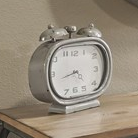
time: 4:42
